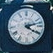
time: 4:12
